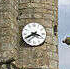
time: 3:40
